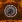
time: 6:37
